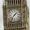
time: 1:36
